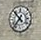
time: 10:36
